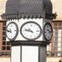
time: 10:47
